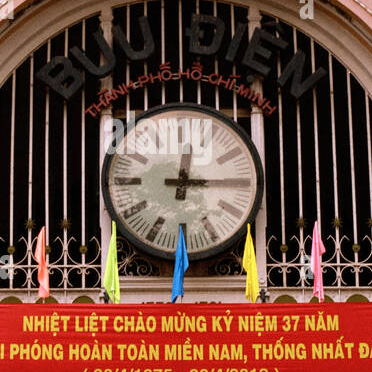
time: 12:14
